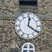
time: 12:20
